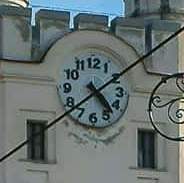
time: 4:38
